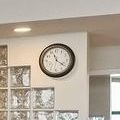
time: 11:21
